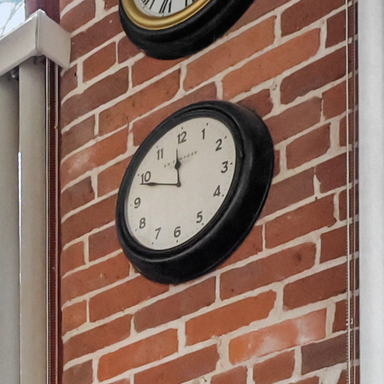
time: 11:48
